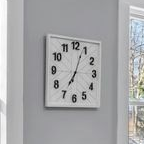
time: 7:03
